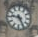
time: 9:25
